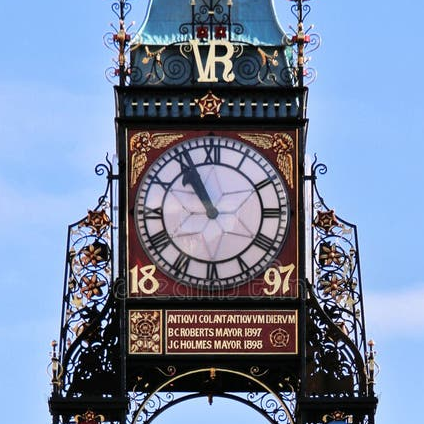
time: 10:55
